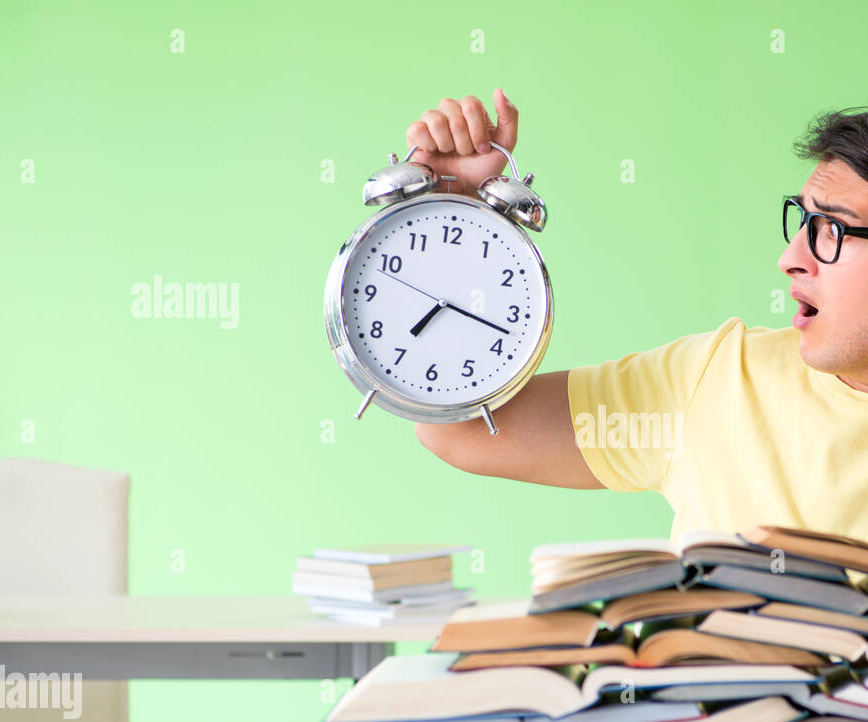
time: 7:17
